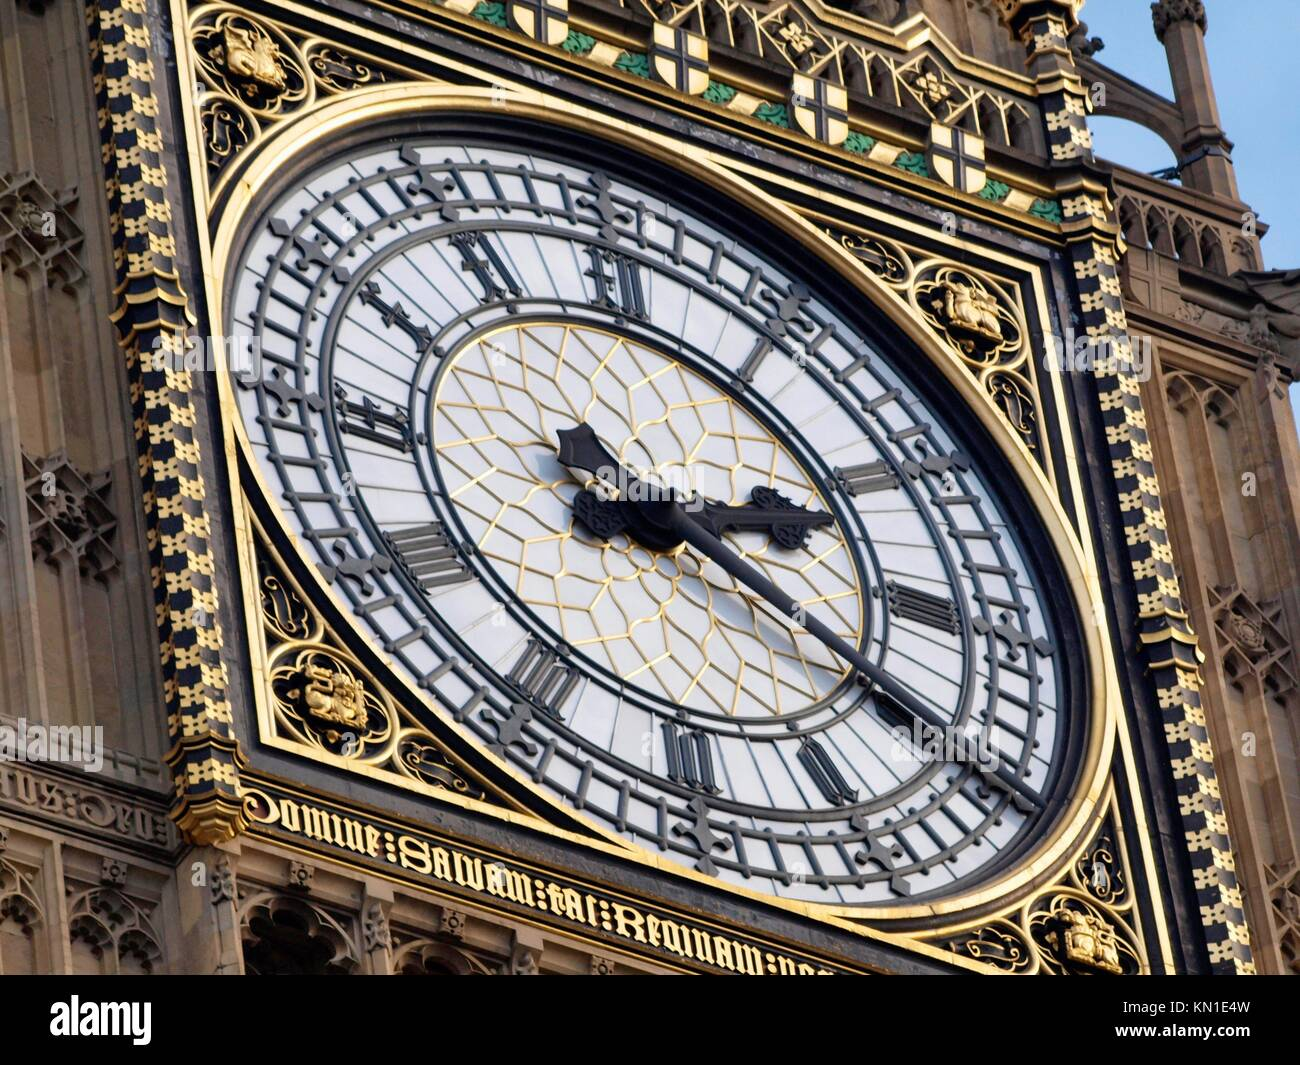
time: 2:19
